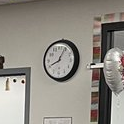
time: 8:04
